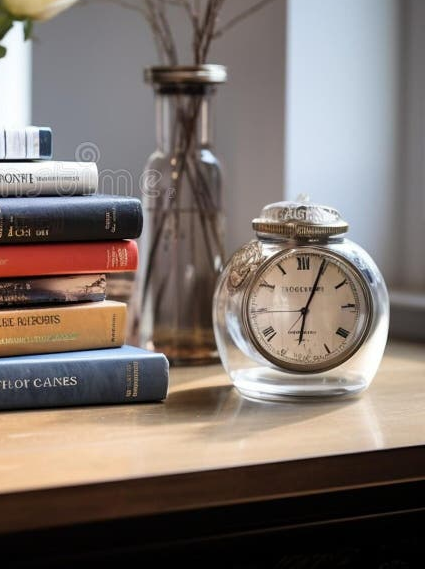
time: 6:04
